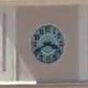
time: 3:40
